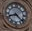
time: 8:22
